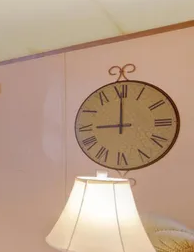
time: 9:00
